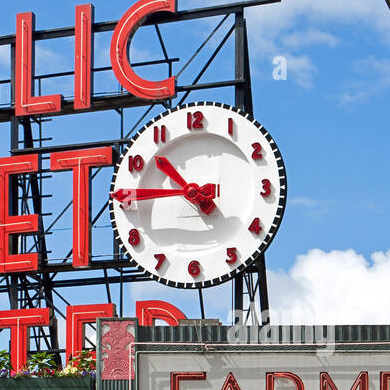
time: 10:45
